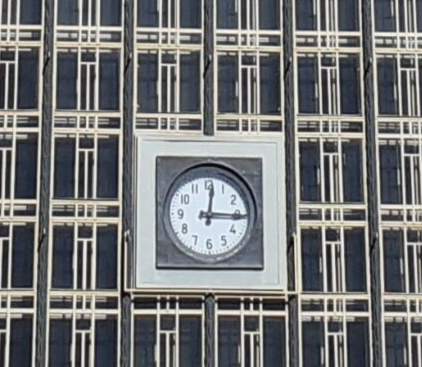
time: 12:15
